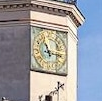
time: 11:16
